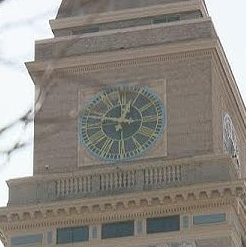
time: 12:47
